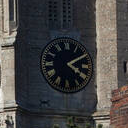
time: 4:09
